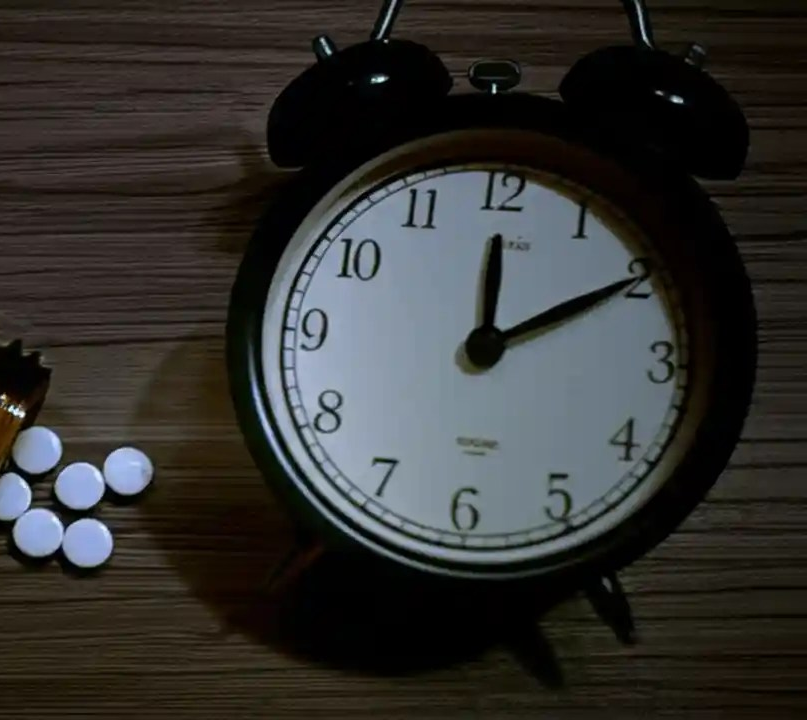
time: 12:09
